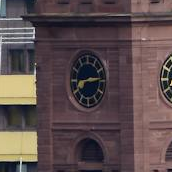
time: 8:14
